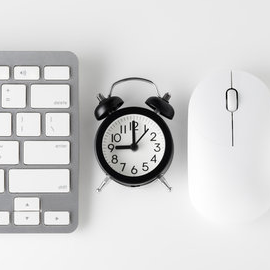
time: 8:59
